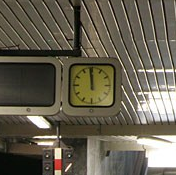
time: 11:59
